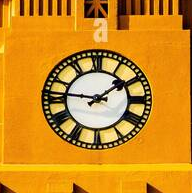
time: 1:46
